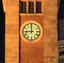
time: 8:59
